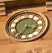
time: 3:36
